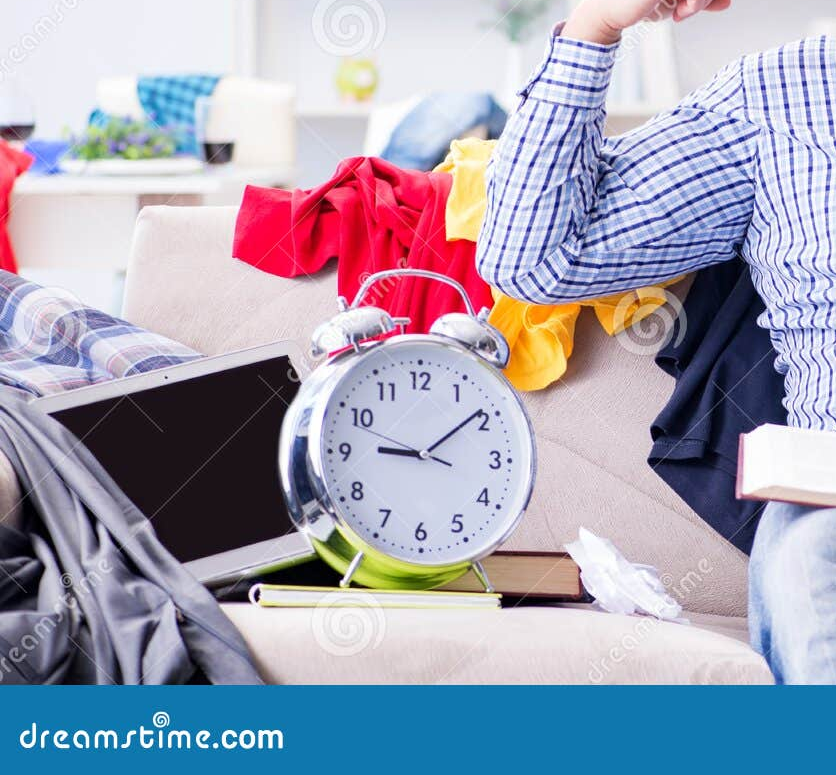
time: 9:09
